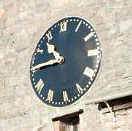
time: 10:45
